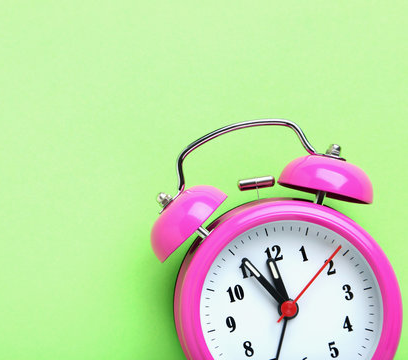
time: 11:55
